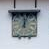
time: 12:02
